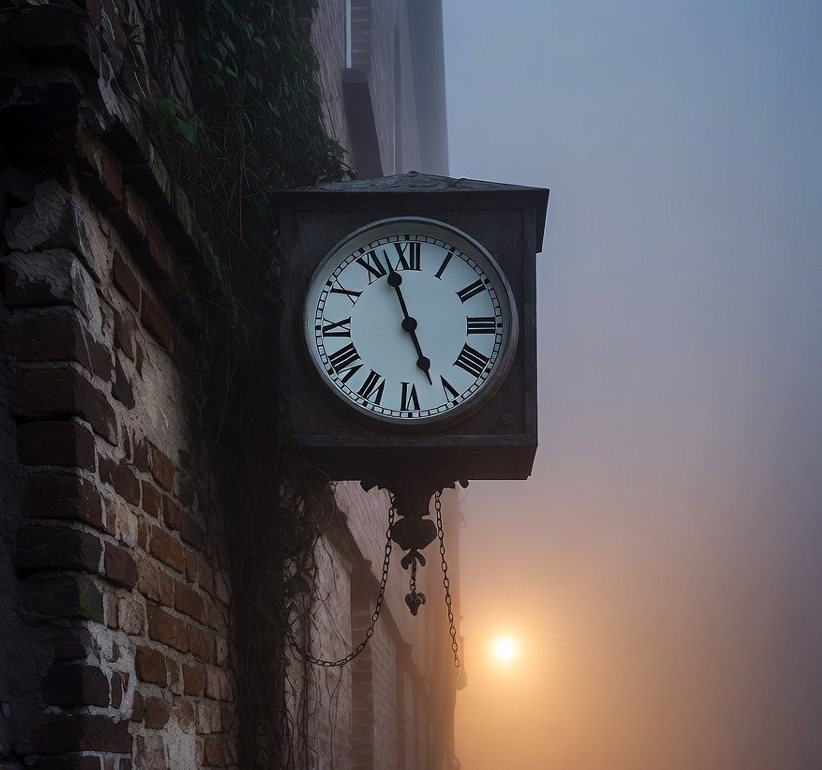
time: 4:57
